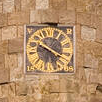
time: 3:48
